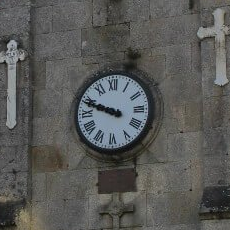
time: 9:48
